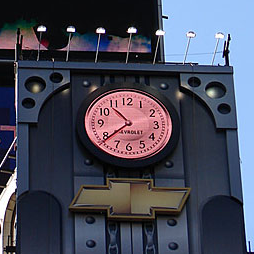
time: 10:38
